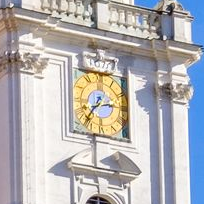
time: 2:36
